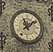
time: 11:08
